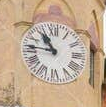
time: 10:45
